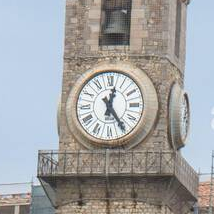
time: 12:24
